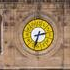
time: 2:33
